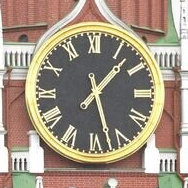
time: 1:27
